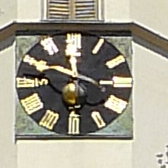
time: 11:48
